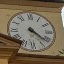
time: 4:21
